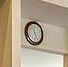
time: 11:25
